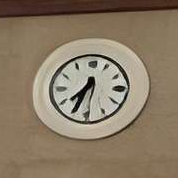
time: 7:33
